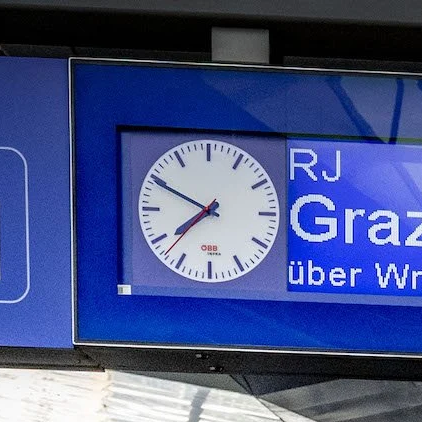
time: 7:49
